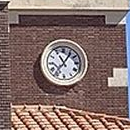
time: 11:06
